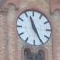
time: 11:25
